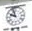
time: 9:57
